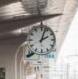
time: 2:03
